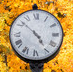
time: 4:51
